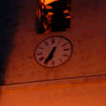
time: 6:34
